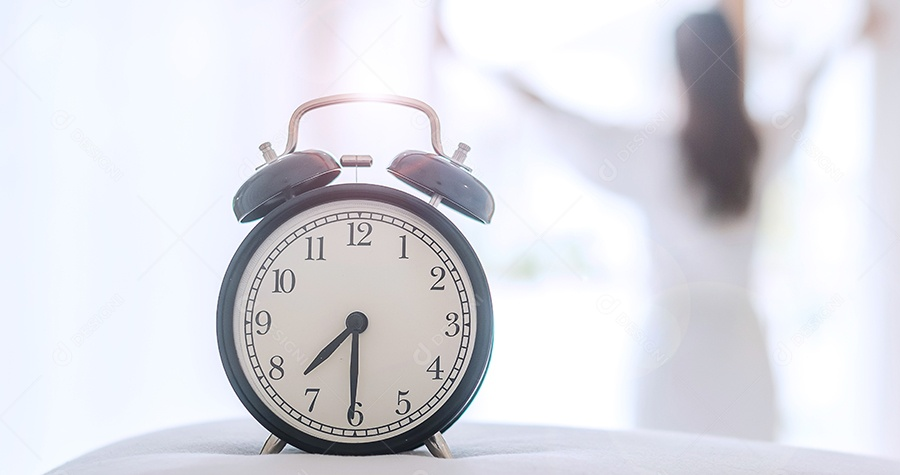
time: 7:30
